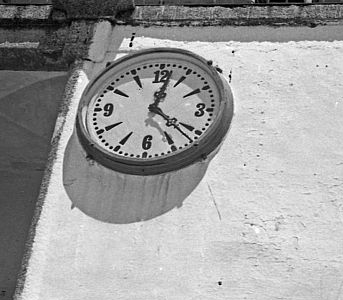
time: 12:21
